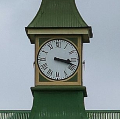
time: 3:18
